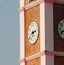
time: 8:12
